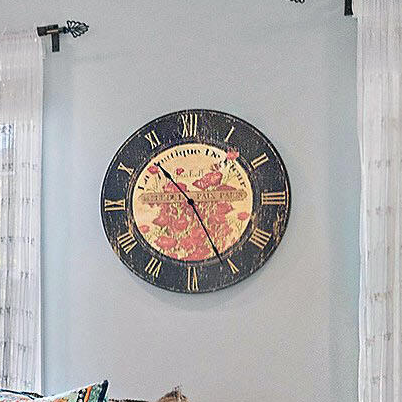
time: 10:25
